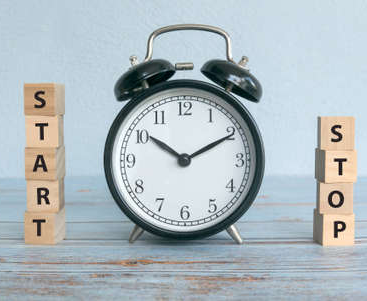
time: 10:10
